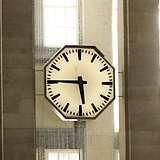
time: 5:45
